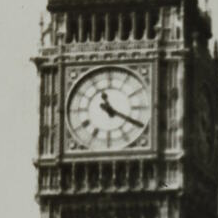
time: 11:19
